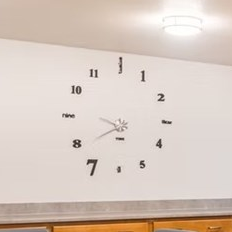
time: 9:39
